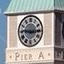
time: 9:14
